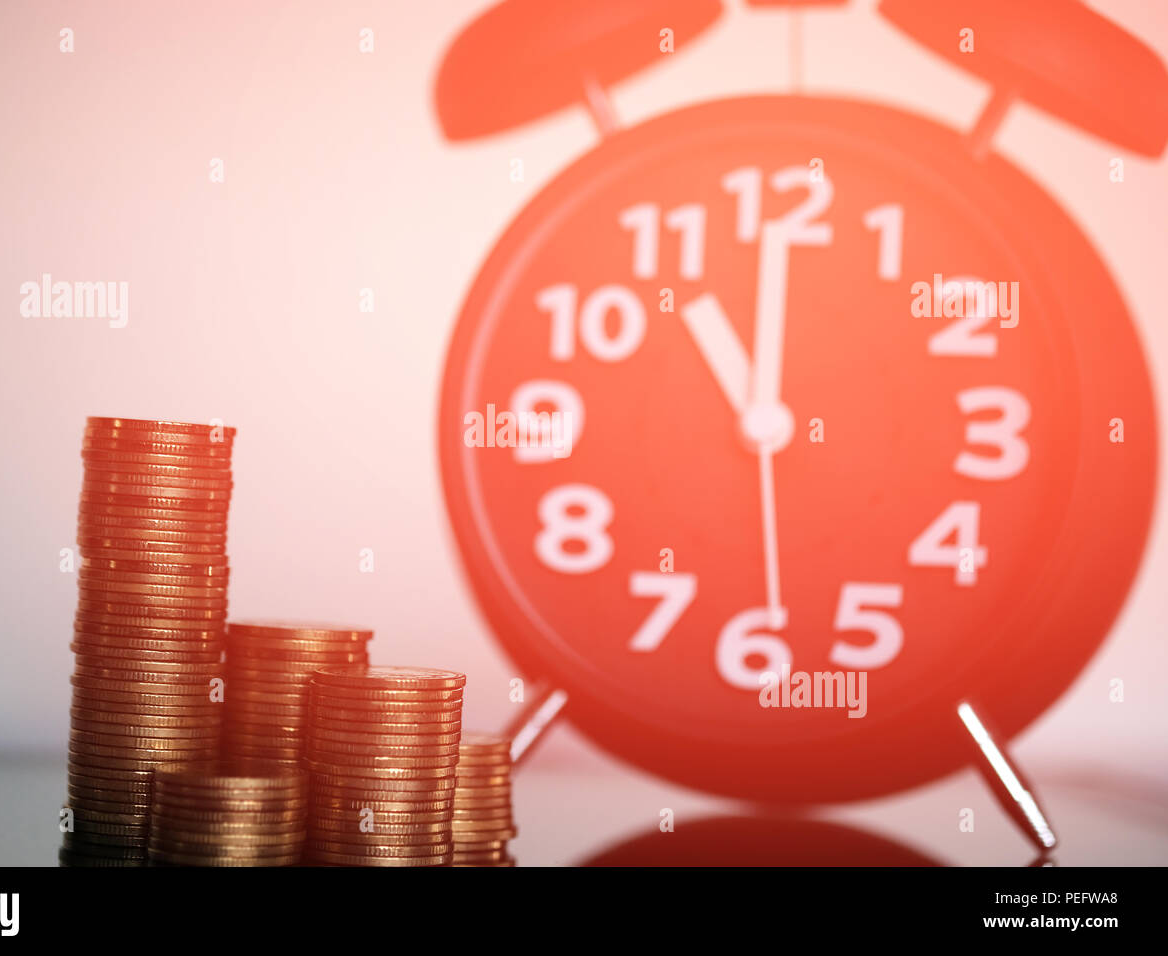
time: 11:00
